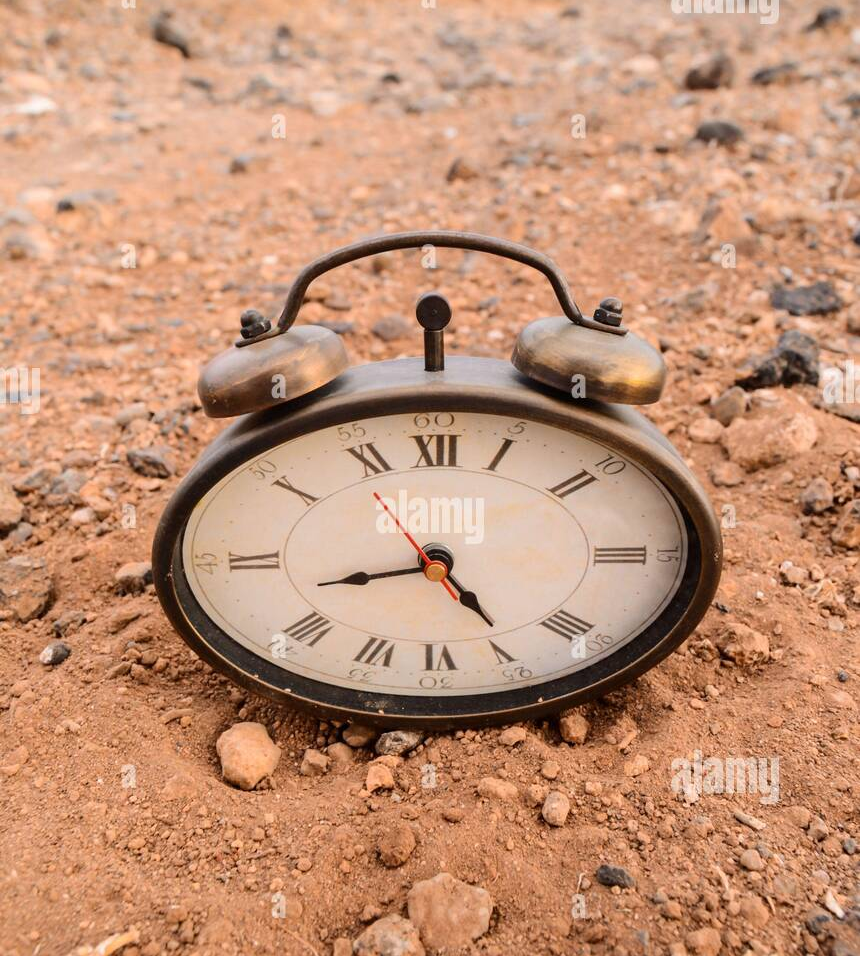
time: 8:24
